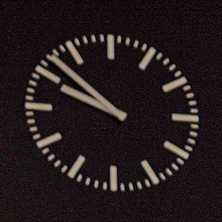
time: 9:52
